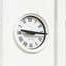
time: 9:15
